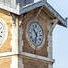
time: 10:32
